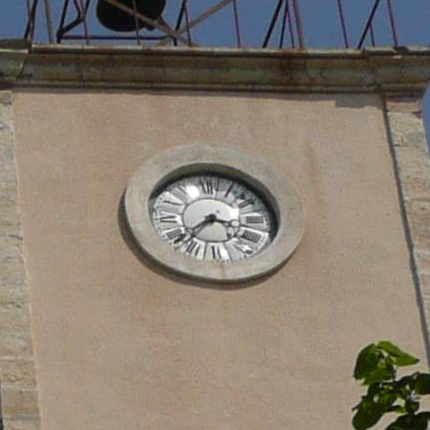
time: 3:37
